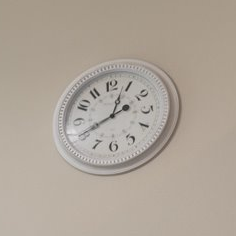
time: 12:40
